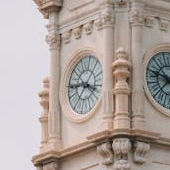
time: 3:44
